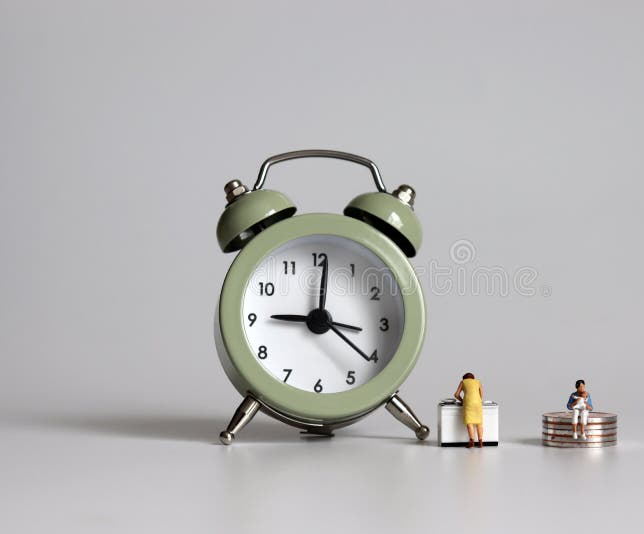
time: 9:01
